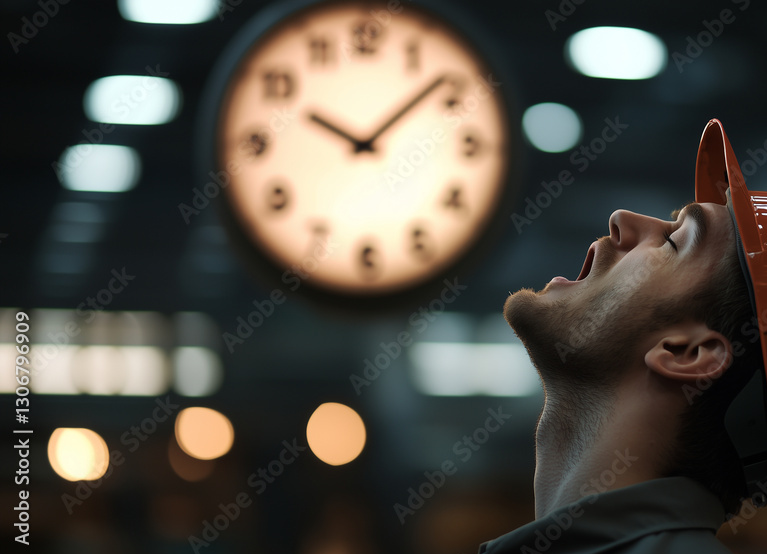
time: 10:08
